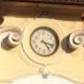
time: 4:17
